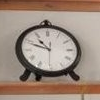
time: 10:48
